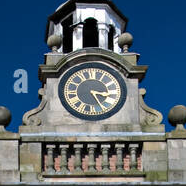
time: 3:24
